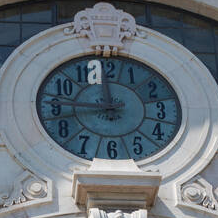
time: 11:46
